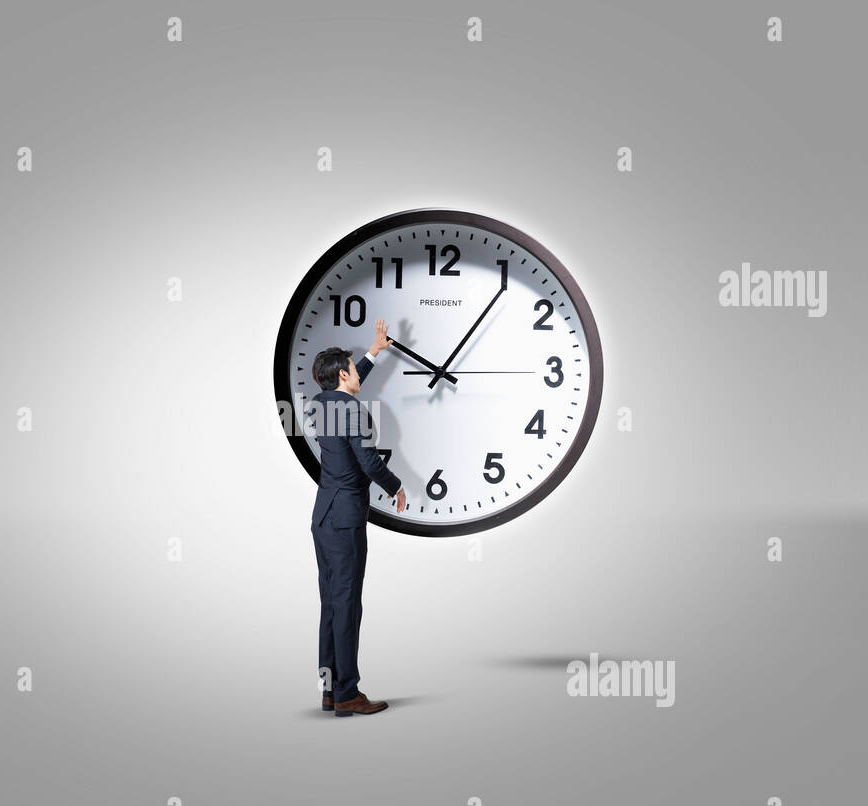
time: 10:05
